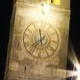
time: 11:37
